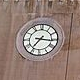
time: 7:15
